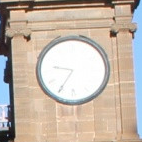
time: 9:35
